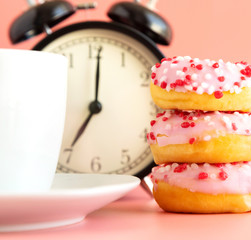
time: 7:00
